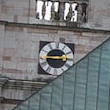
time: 2:45
